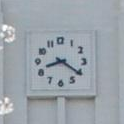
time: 8:20
